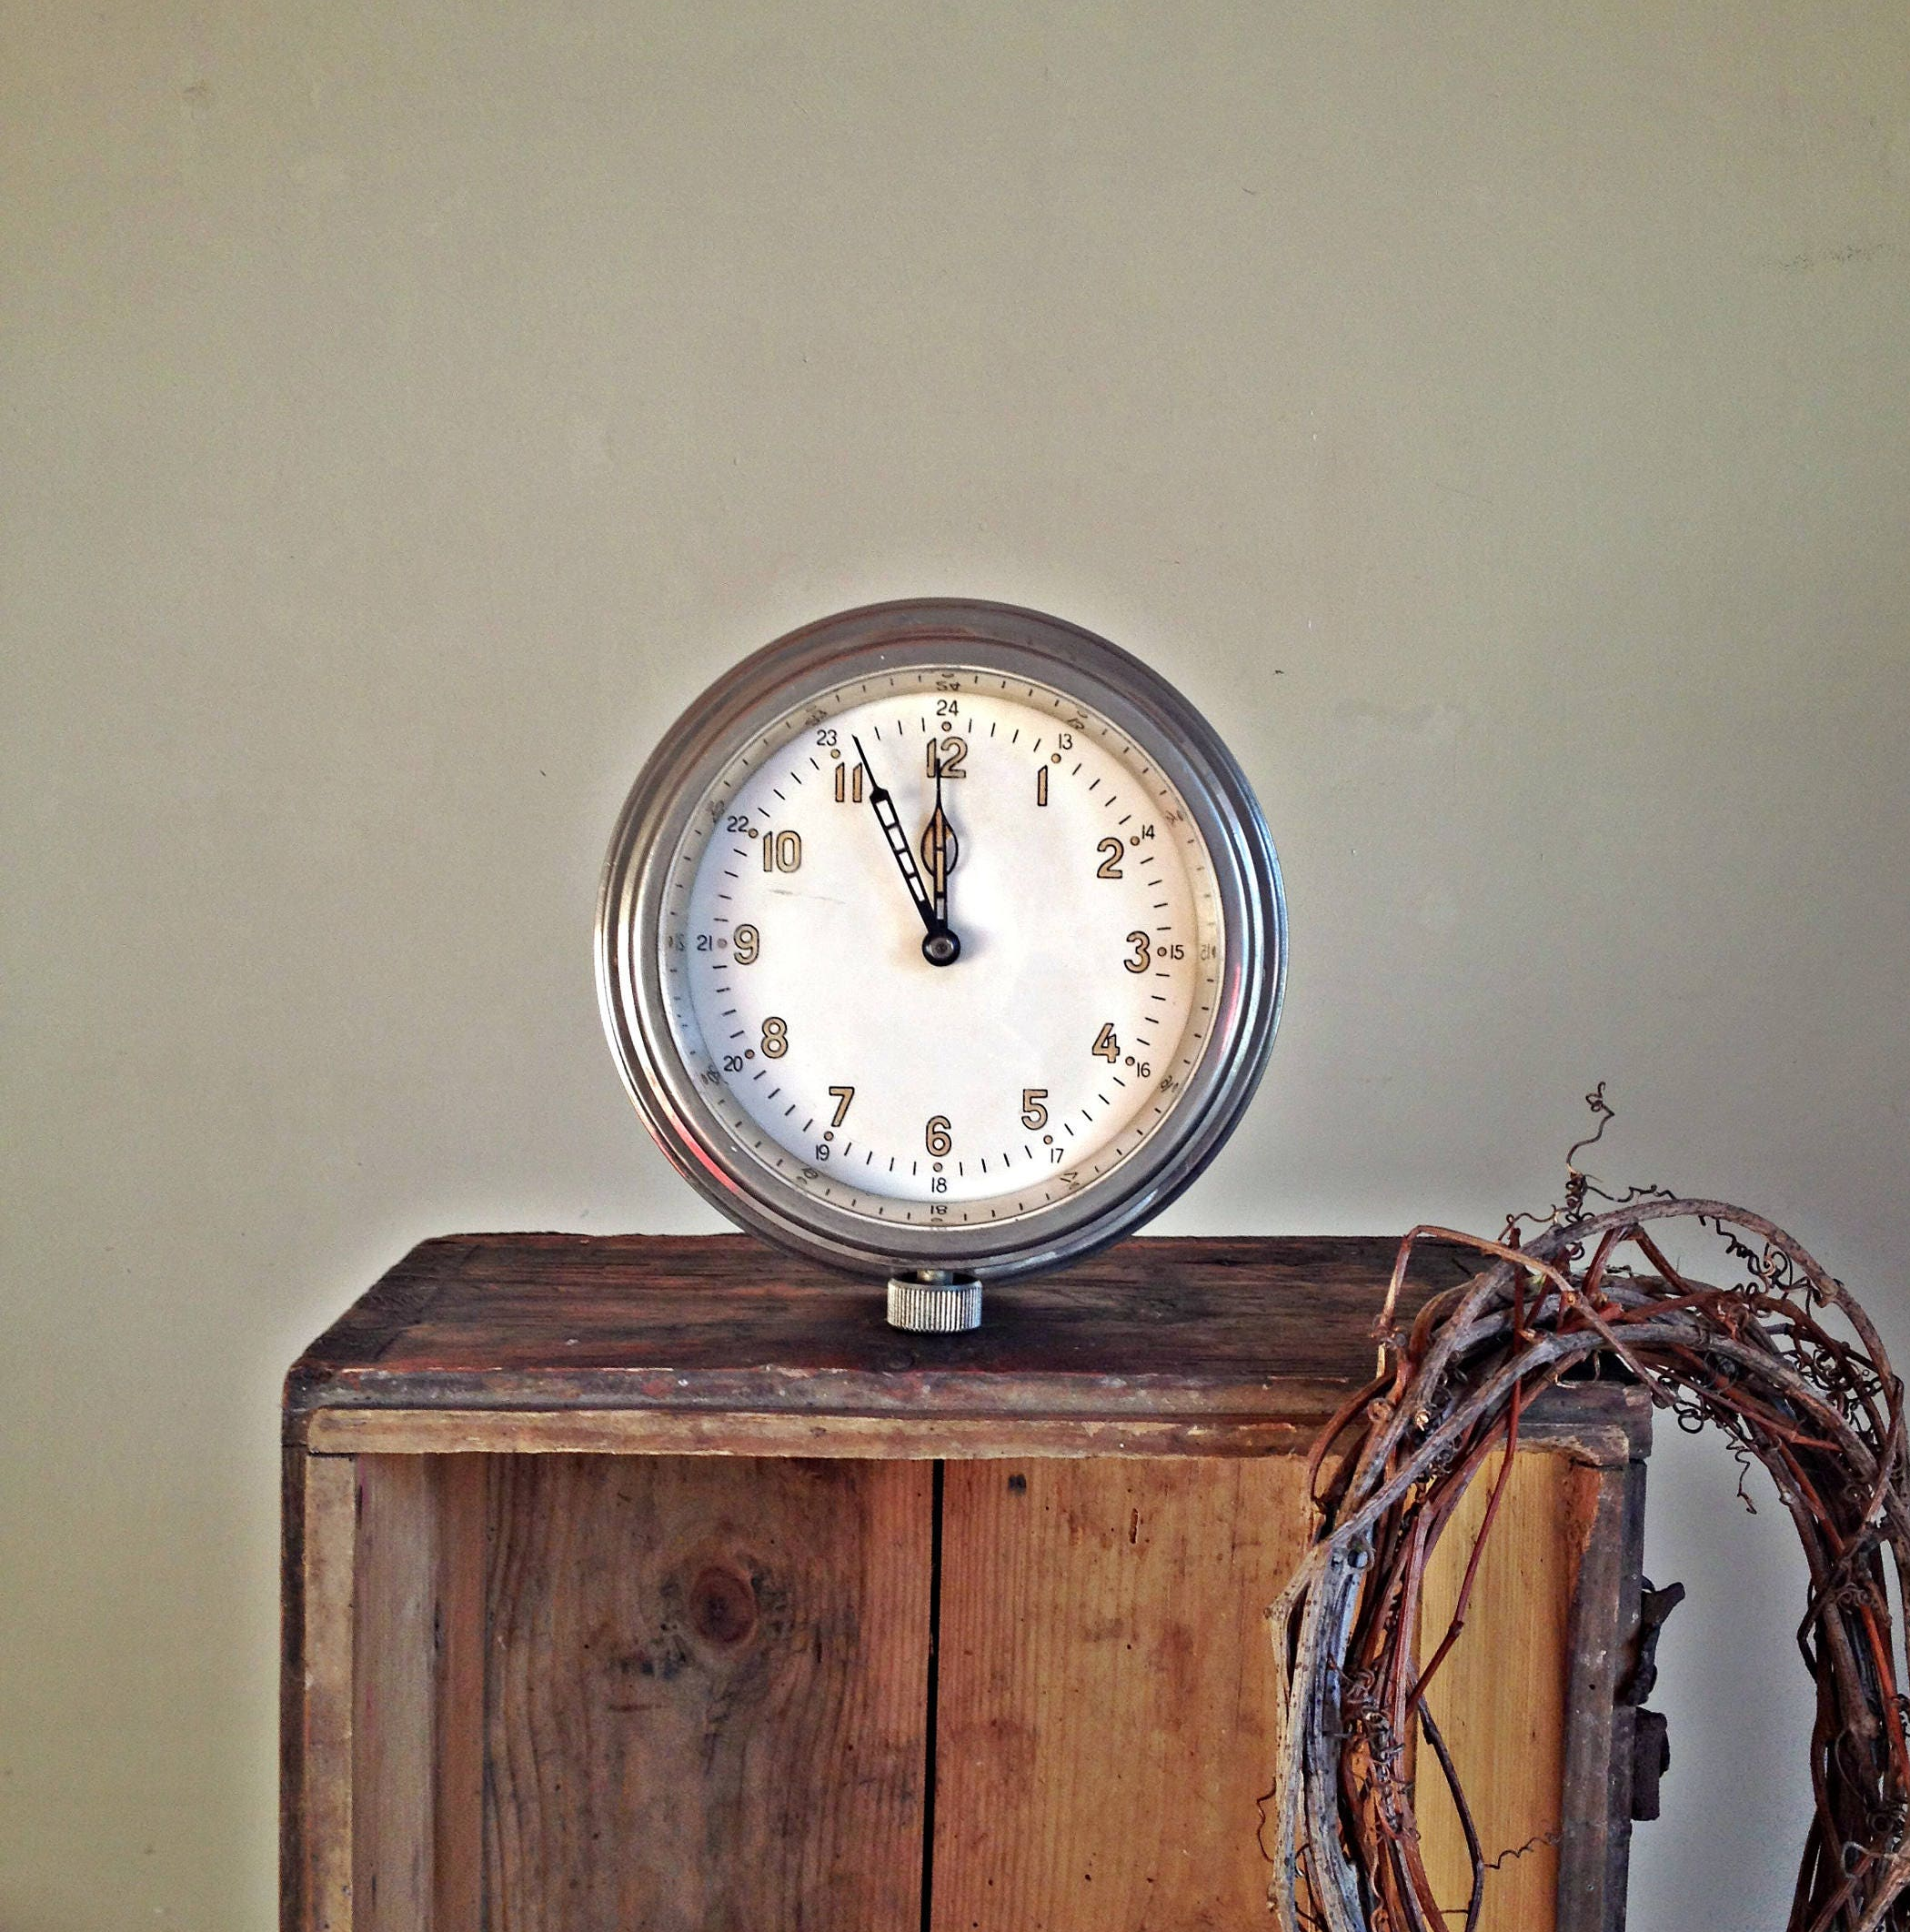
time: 11:55
